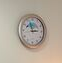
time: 2:56
